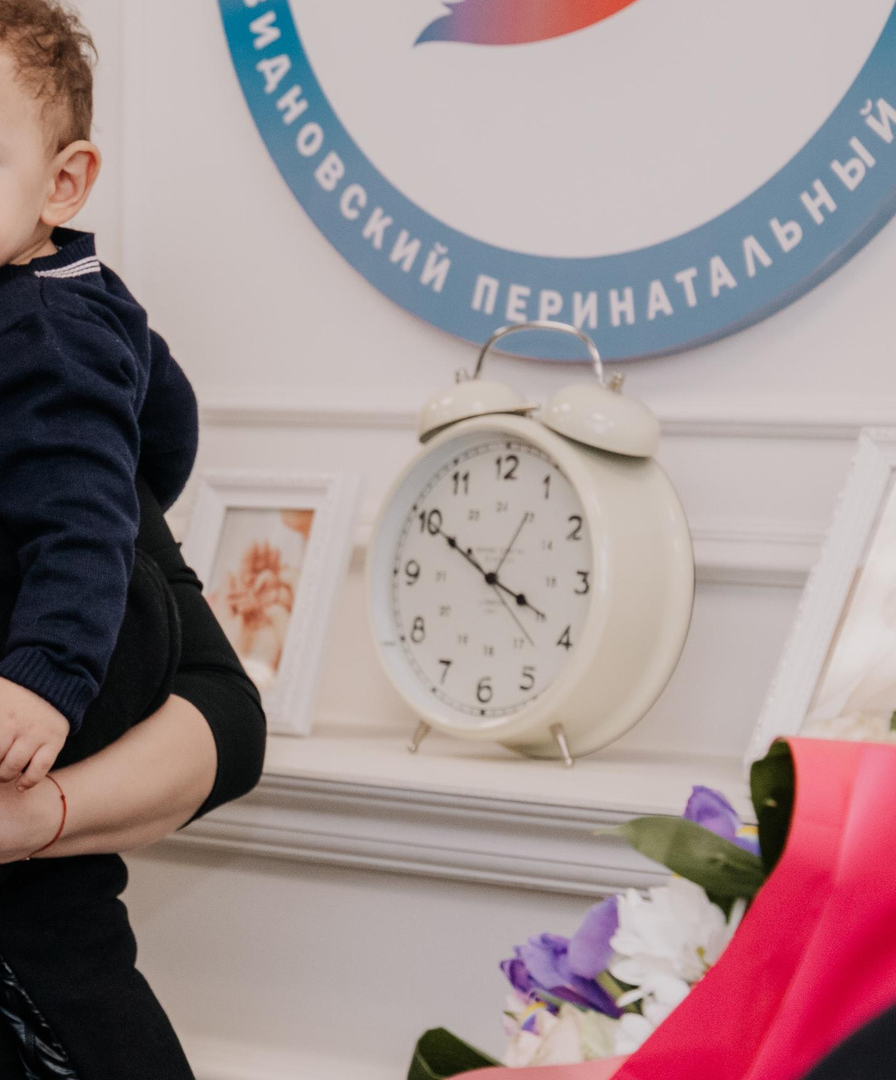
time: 3:50
